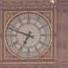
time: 6:48
